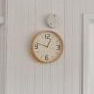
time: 12:47
